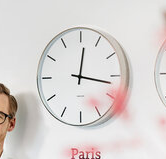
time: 12:16
